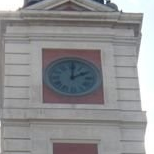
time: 2:00
